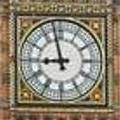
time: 8:57
